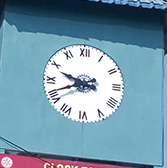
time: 9:41
